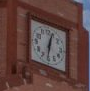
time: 12:31
